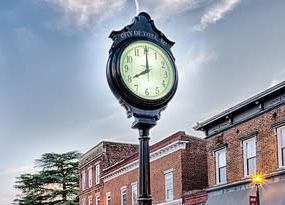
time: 8:00
